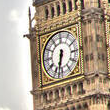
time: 6:32
